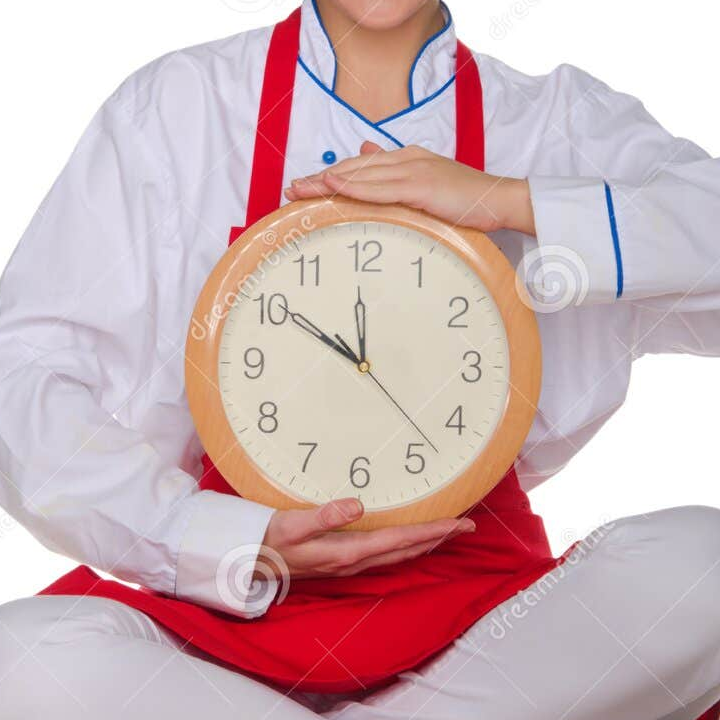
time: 11:50
